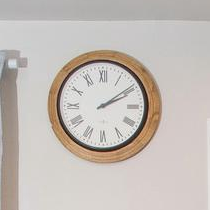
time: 2:09
